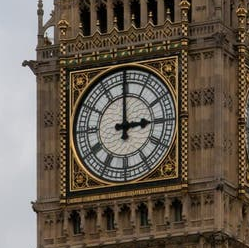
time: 2:59
